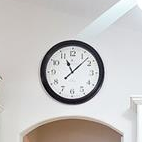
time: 11:07
